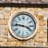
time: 3:46
